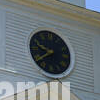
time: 9:39
